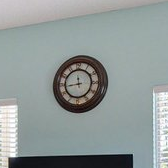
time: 11:43
